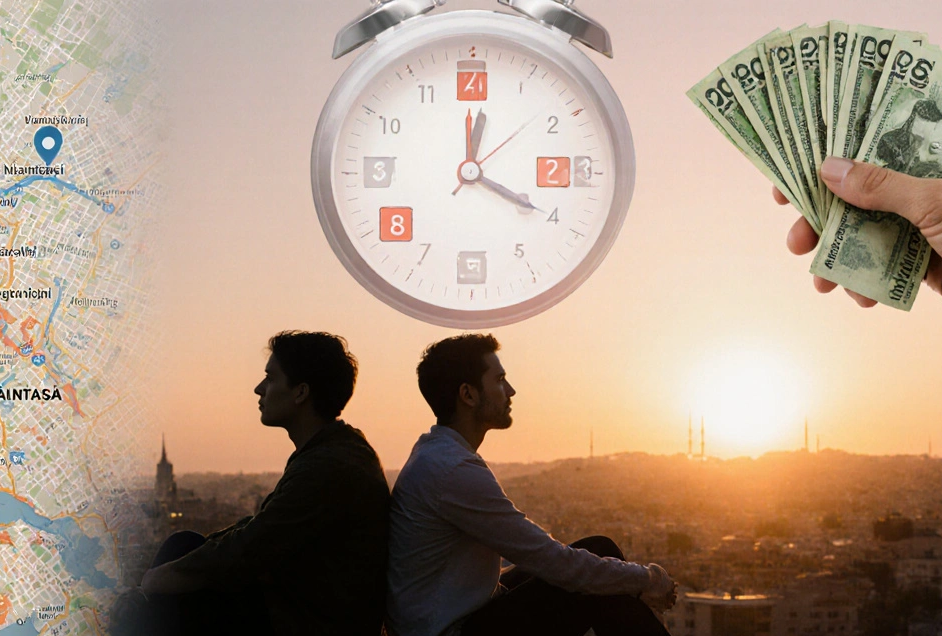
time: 12:19
